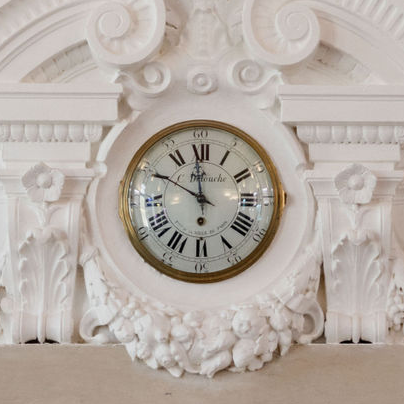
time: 11:49
